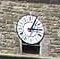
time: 3:04
